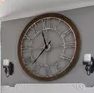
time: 11:37
